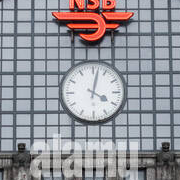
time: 4:02
